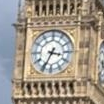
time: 3:34
